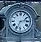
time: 2:33
